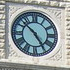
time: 4:52
